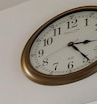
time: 3:24
